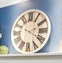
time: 2:19
